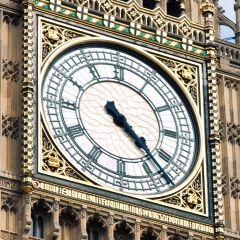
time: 4:22
